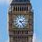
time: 2:23
